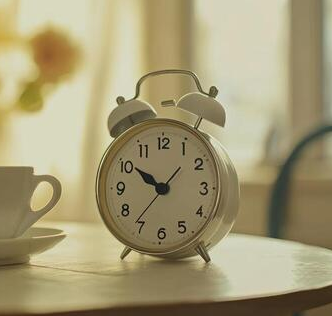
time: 9:50
